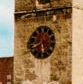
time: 5:41
